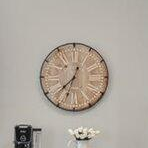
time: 7:33
